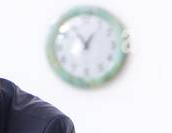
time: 12:54
